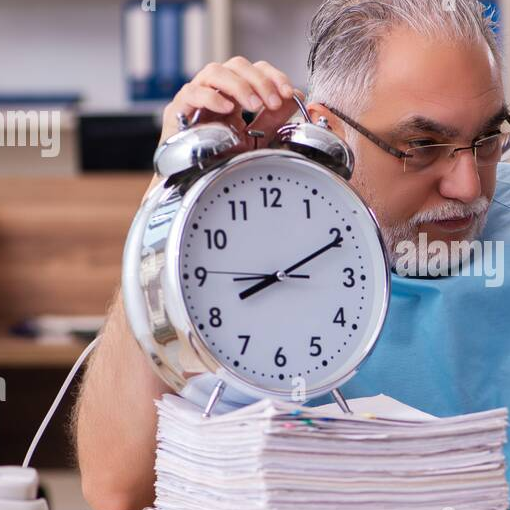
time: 8:10
